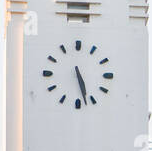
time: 5:27
